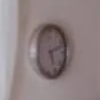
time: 5:11
